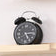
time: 5:14
